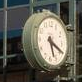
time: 5:18
